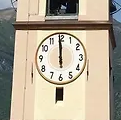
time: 11:59
